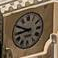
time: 8:49
